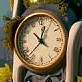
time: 12:37
